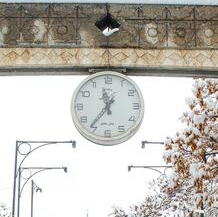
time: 11:36
